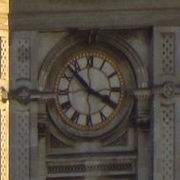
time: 3:52
